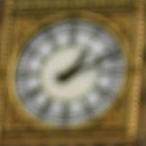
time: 1:11
